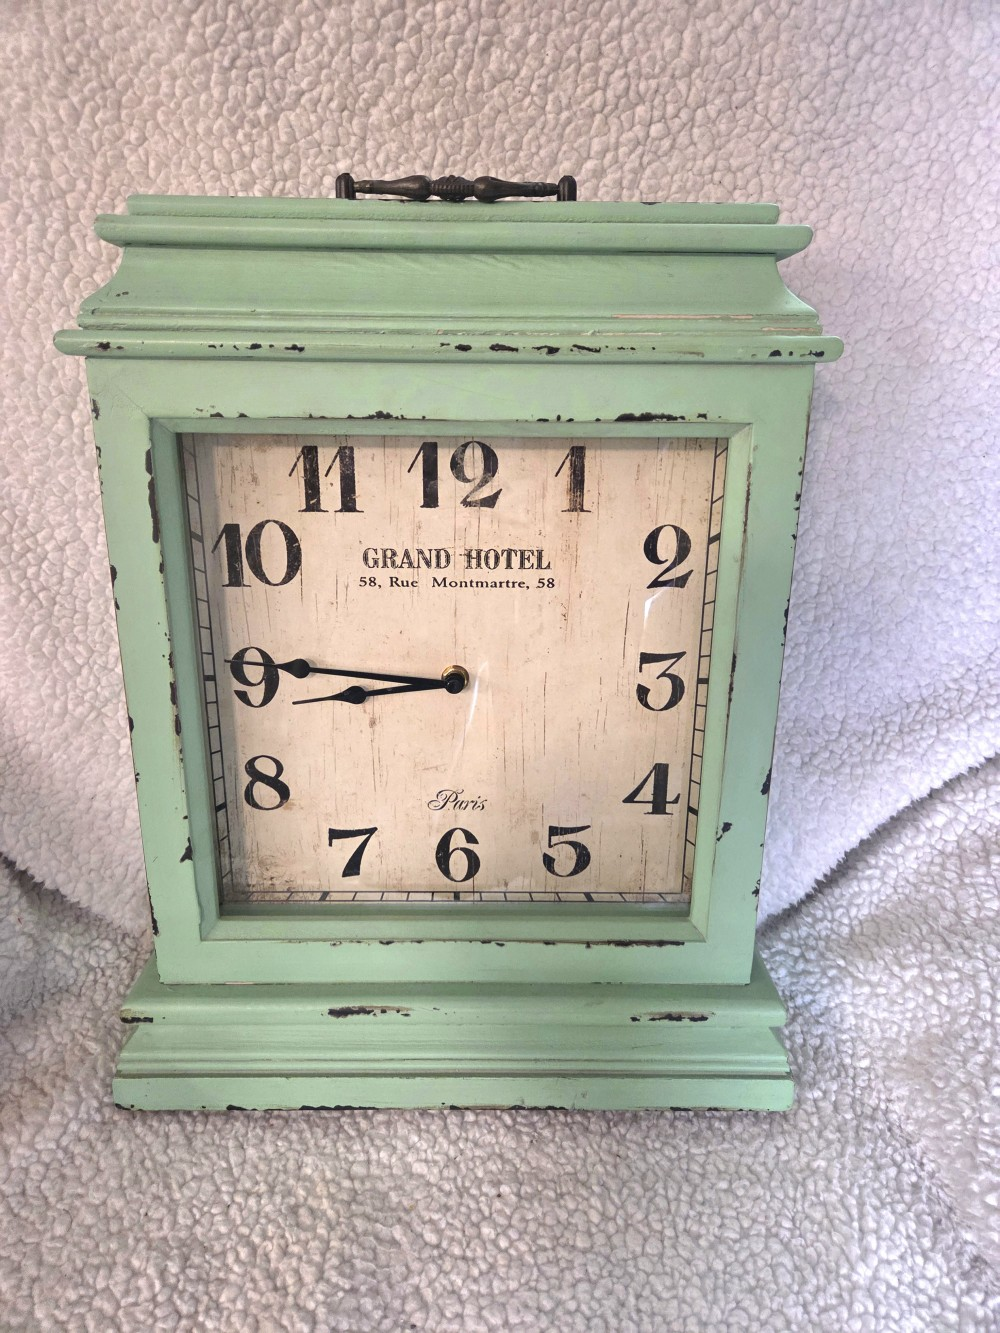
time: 8:45
